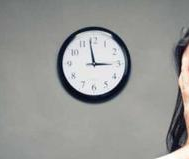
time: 2:58
